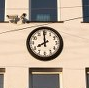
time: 7:59
